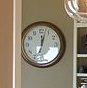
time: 12:02
